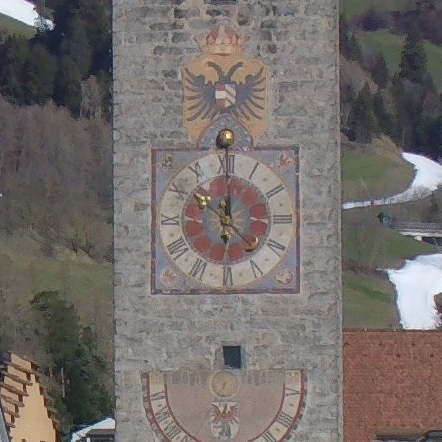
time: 10:00
